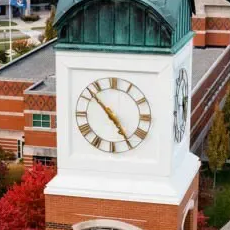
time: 4:52
